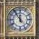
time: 11:54
